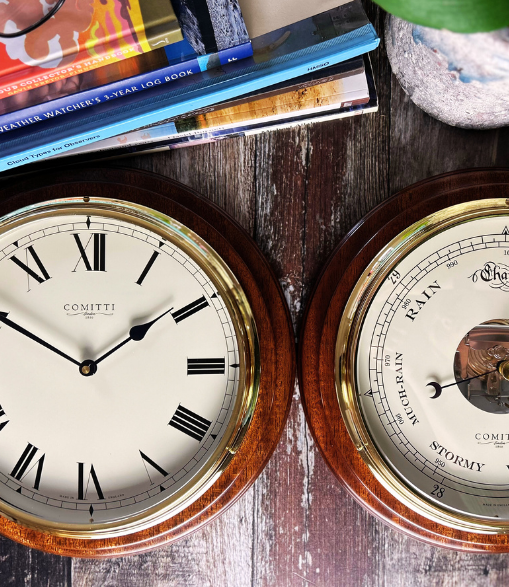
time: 1:49
